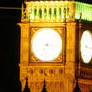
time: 7:16
